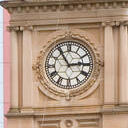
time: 2:54
